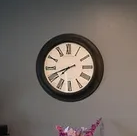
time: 7:41
